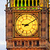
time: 9:09
